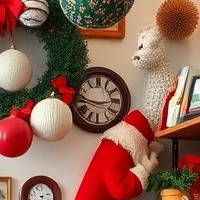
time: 2:46
